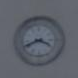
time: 3:41
